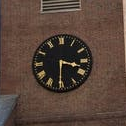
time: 3:30
